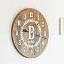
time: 9:17
